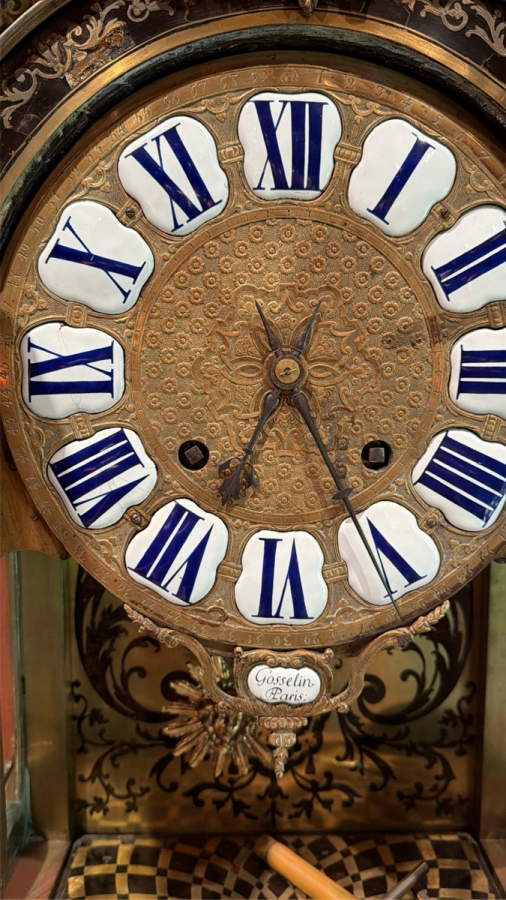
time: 6:24
